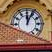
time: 12:04
